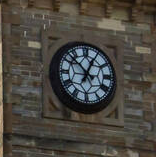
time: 12:52
